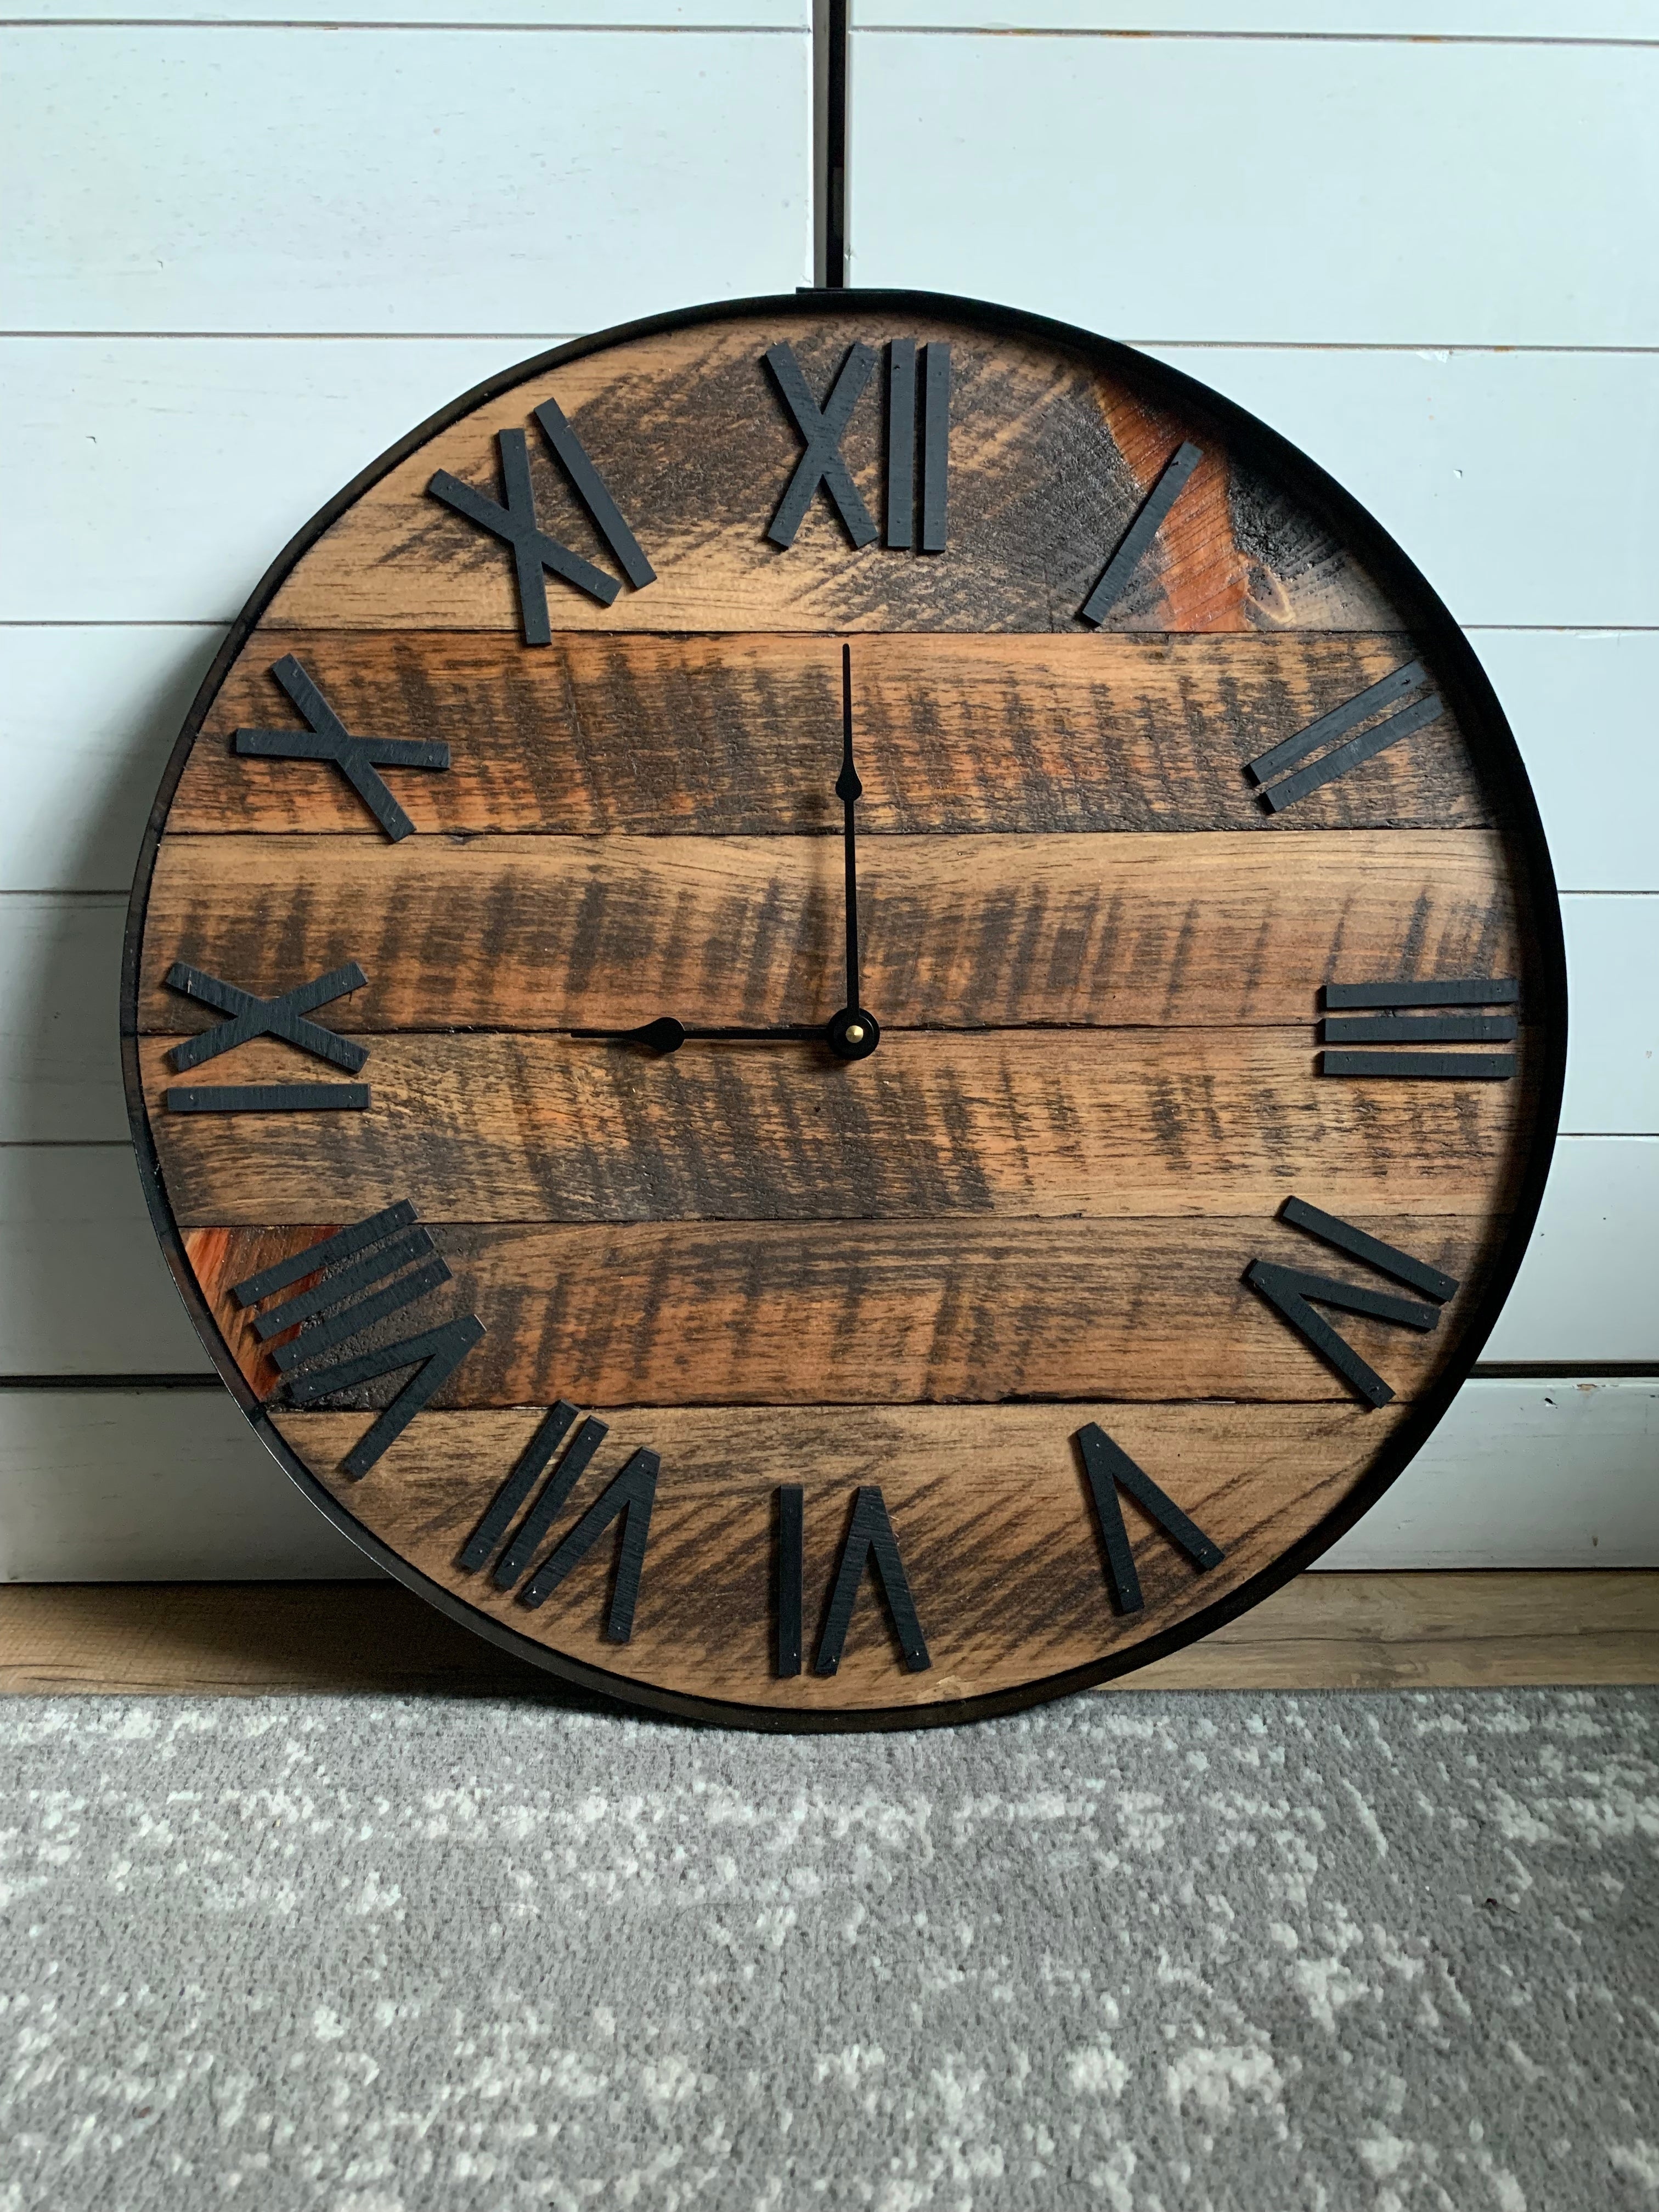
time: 8:59
